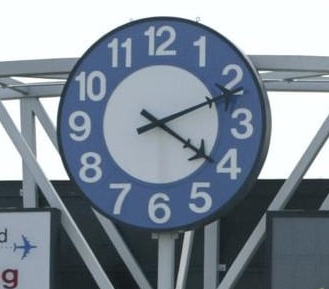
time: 4:11
